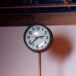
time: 2:37
